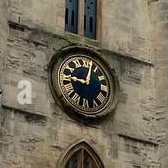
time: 9:02
